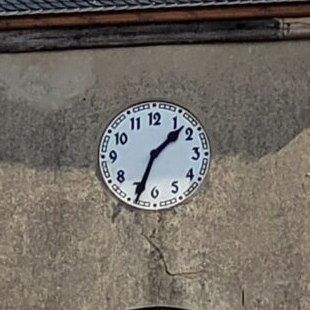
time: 1:33
